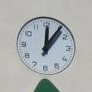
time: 12:06
